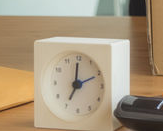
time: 7:00
